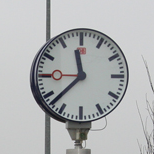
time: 11:37
